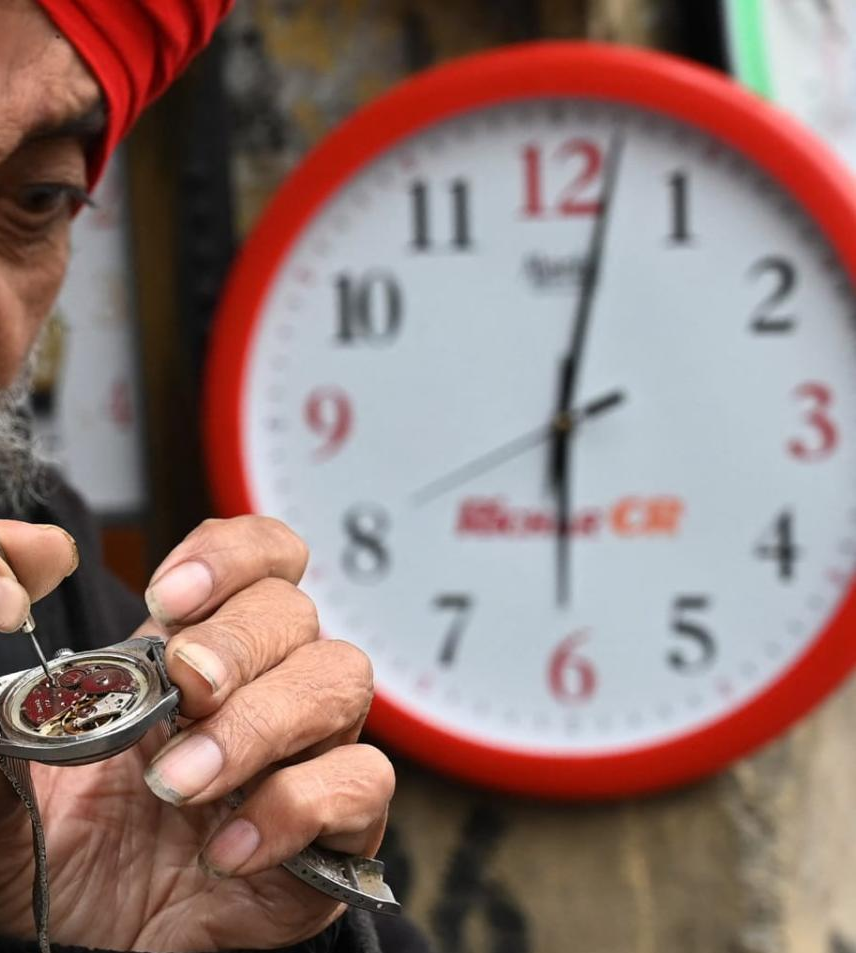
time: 6:02
